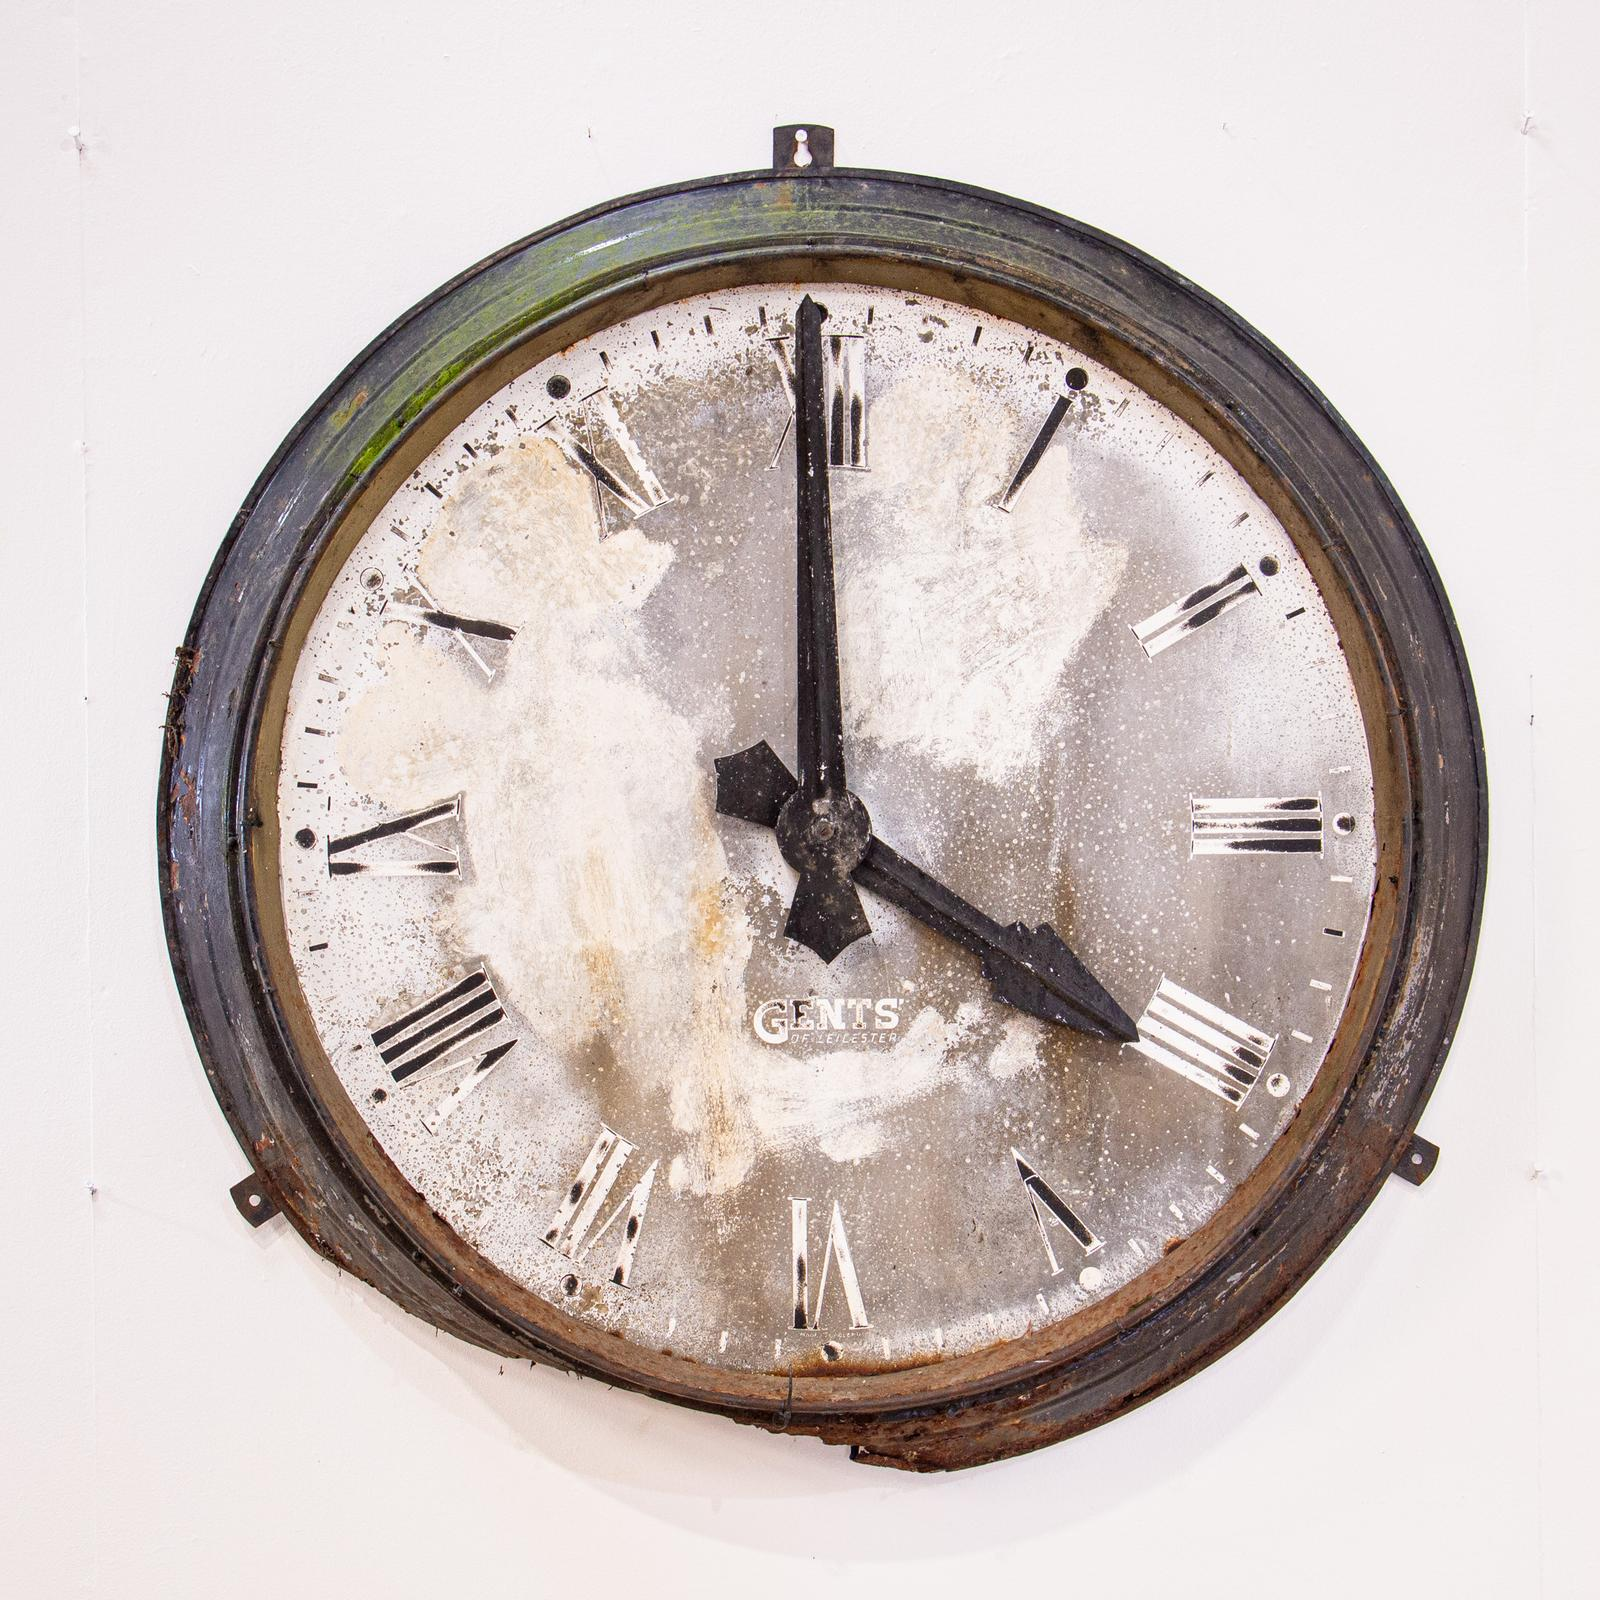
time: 3:59
